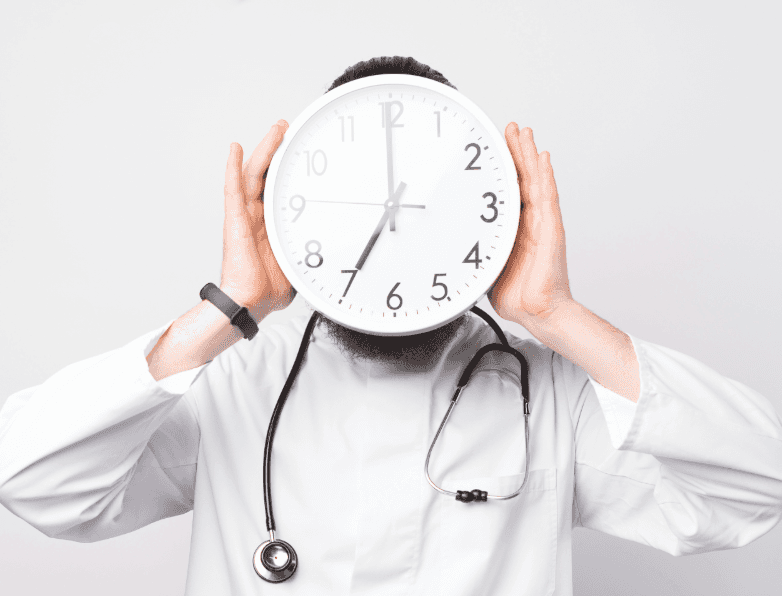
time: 6:59
